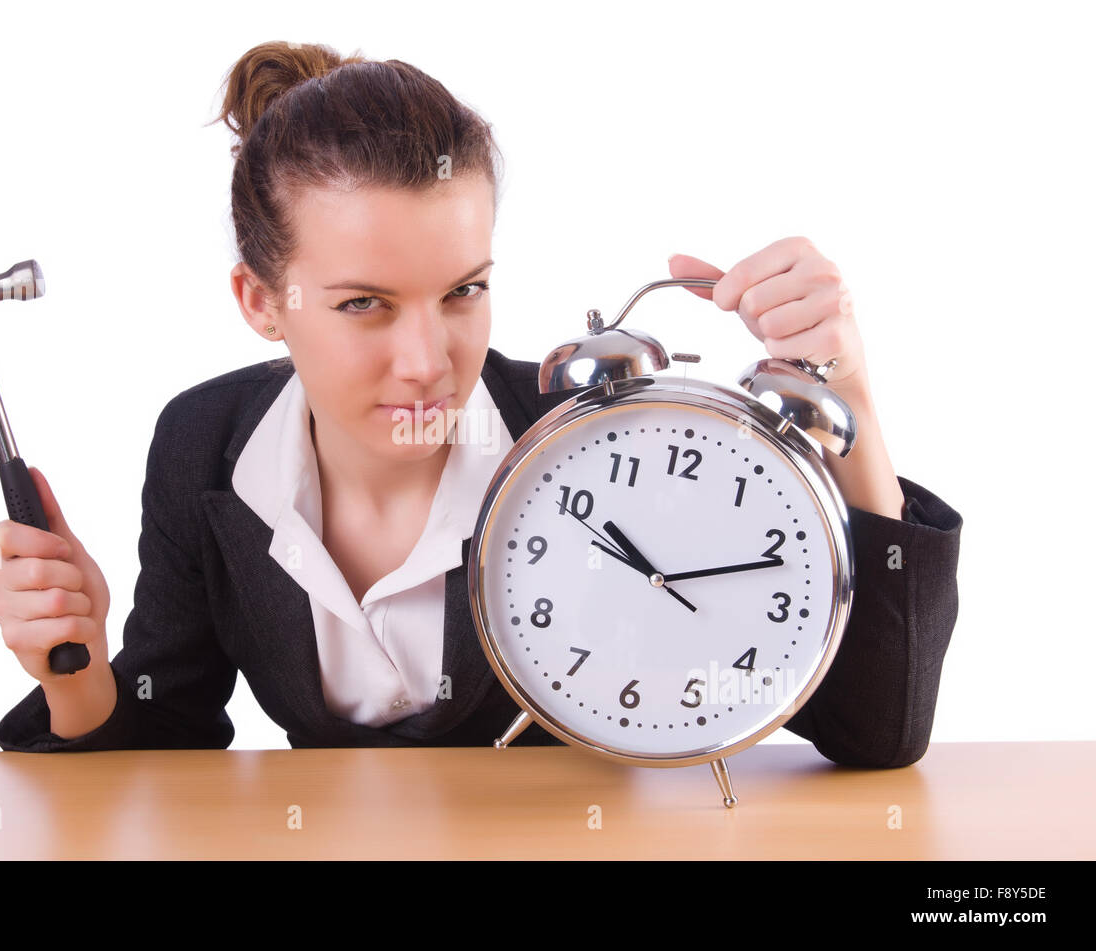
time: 10:11
